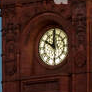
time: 10:00
